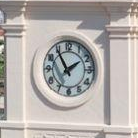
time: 1:54
